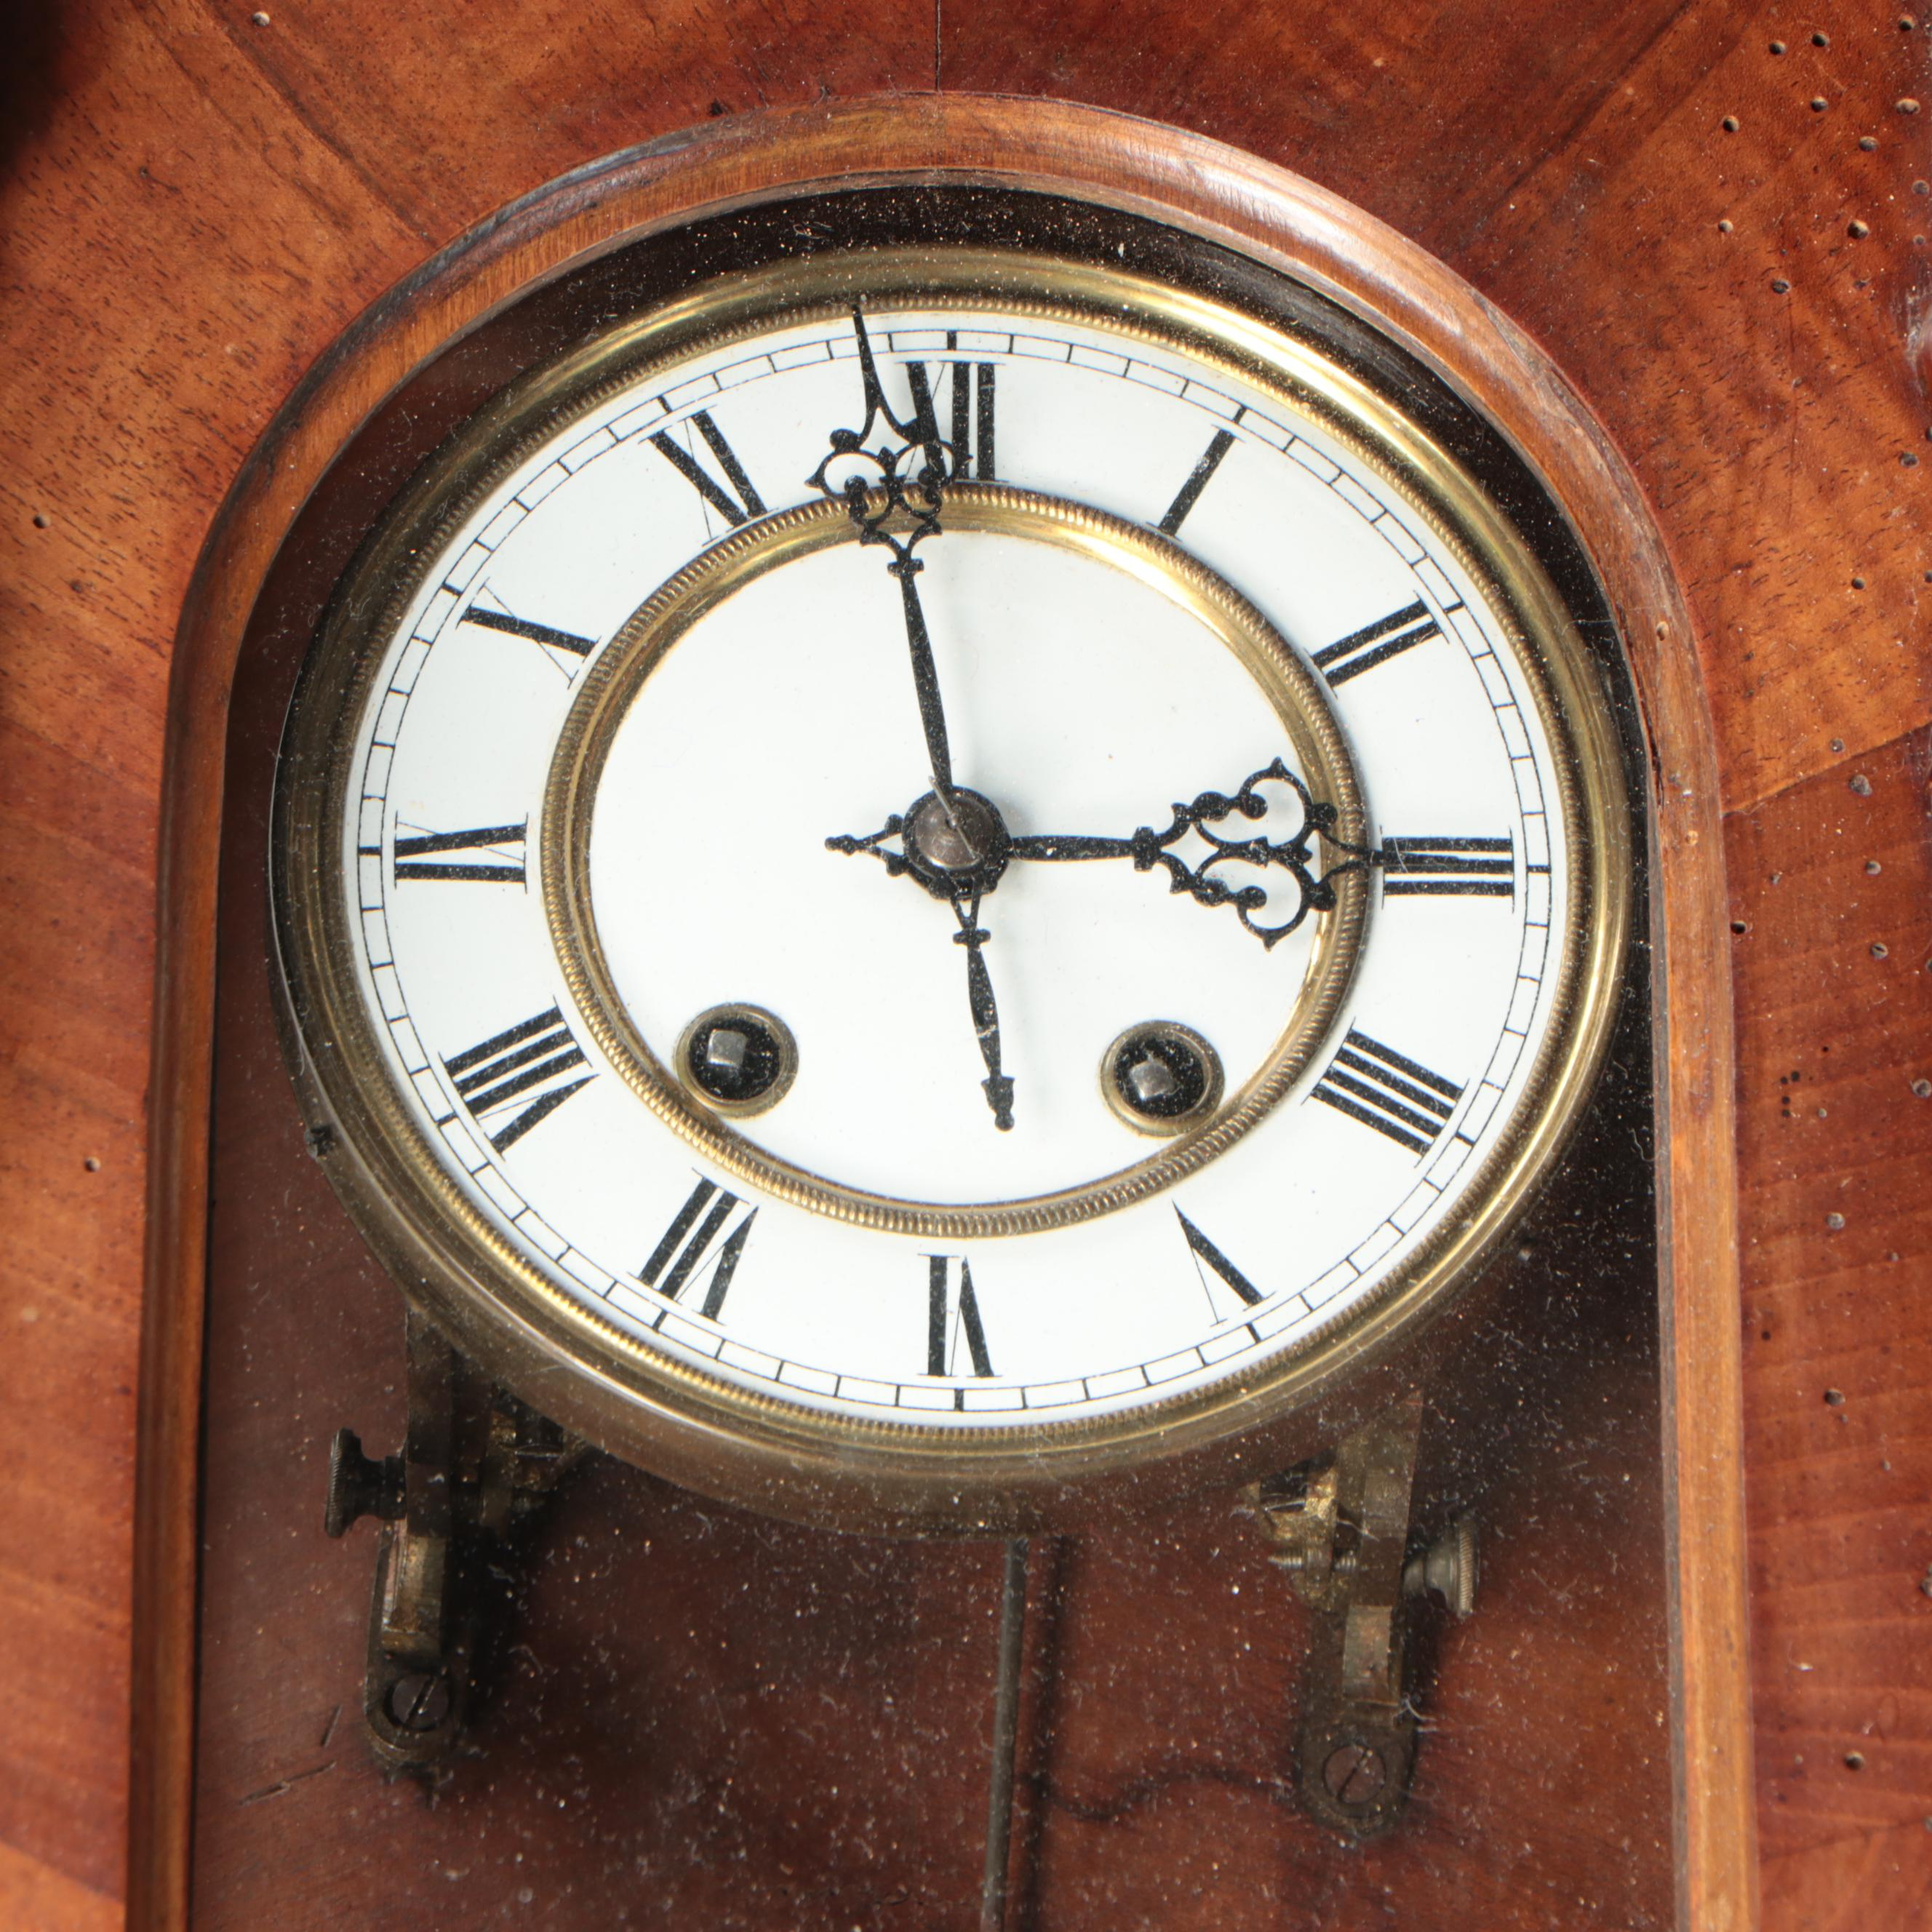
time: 2:58
